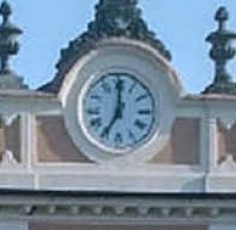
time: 7:00
